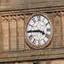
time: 3:44
